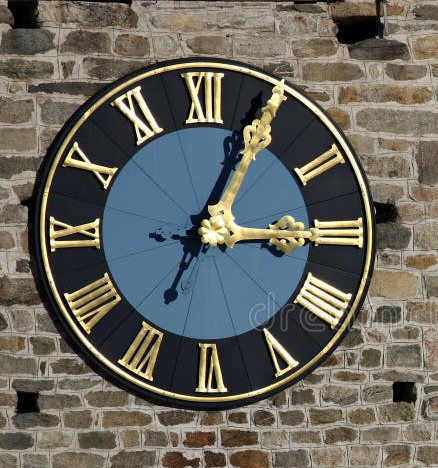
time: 3:04
